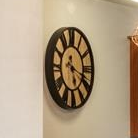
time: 5:18
